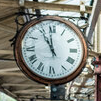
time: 10:58
